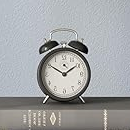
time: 1:50
